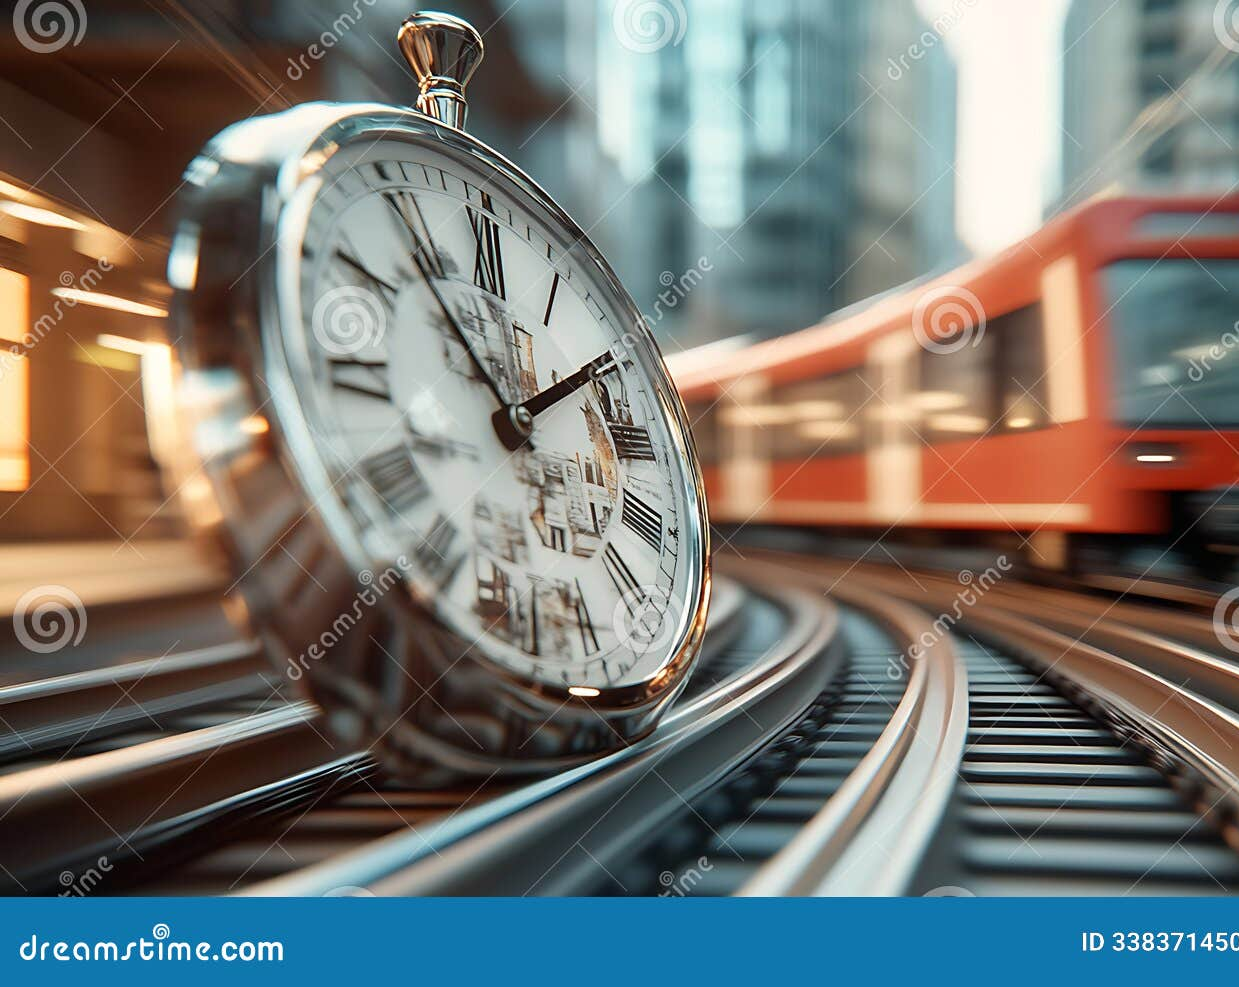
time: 1:54
